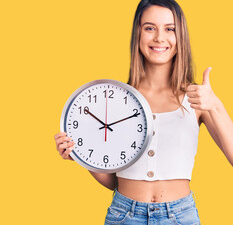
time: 10:10
